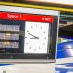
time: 8:48
